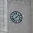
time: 1:38
